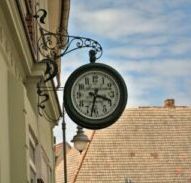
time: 3:32
